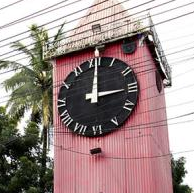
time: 3:00
